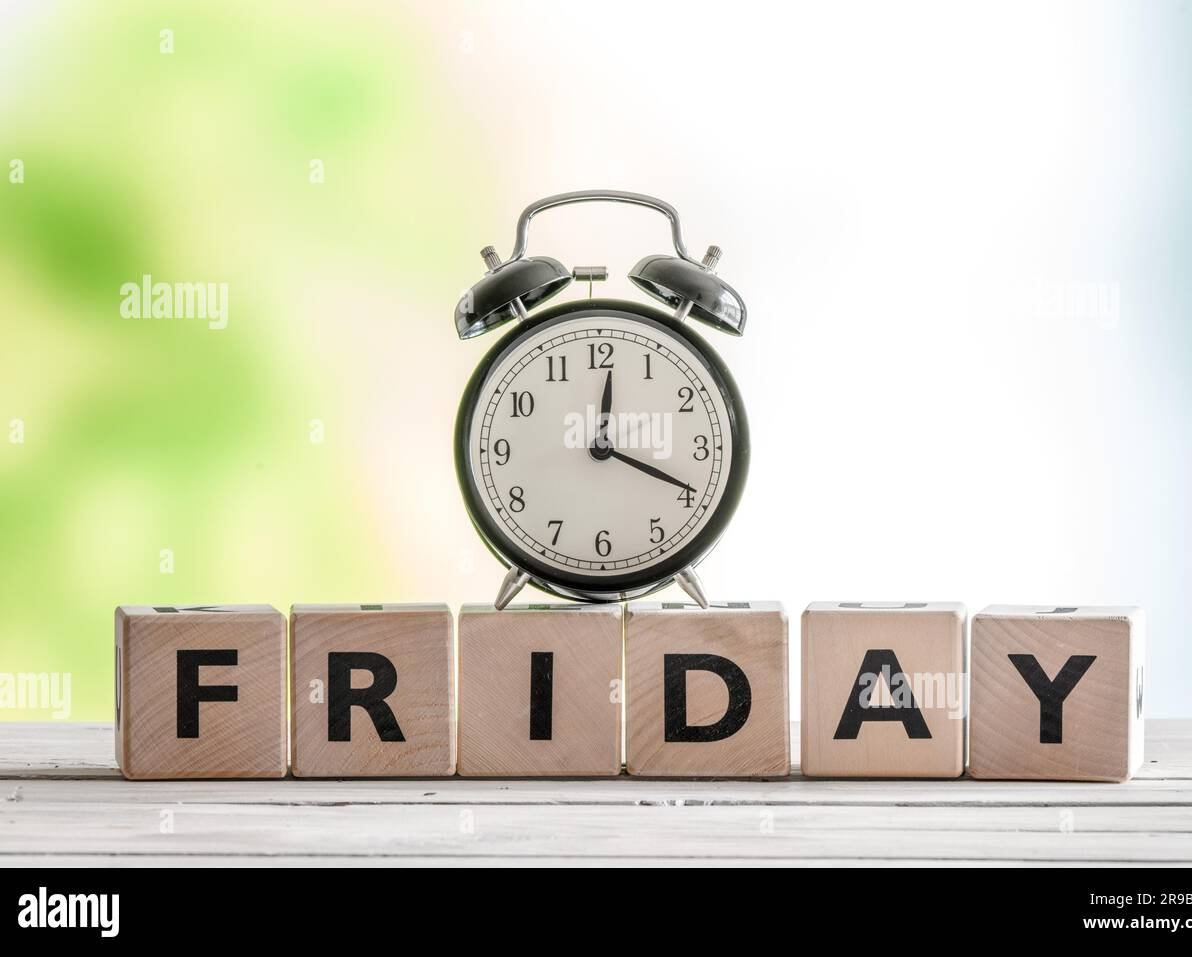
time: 12:19
